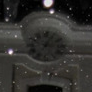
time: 3:04
